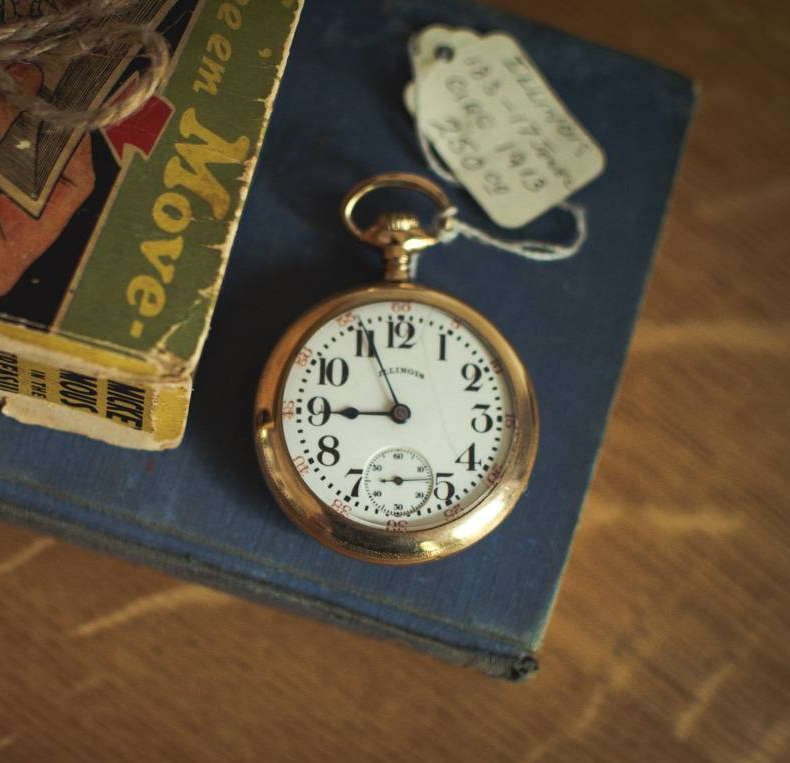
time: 8:56
